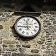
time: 11:44
